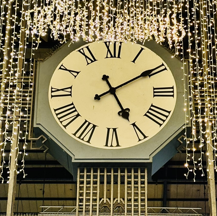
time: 5:09
